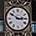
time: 2:50
